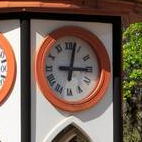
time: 3:02
